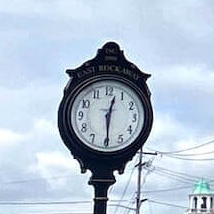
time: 12:29
